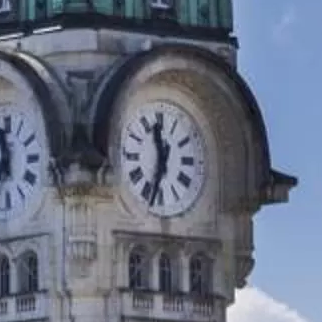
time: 11:33
